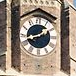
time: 1:42
